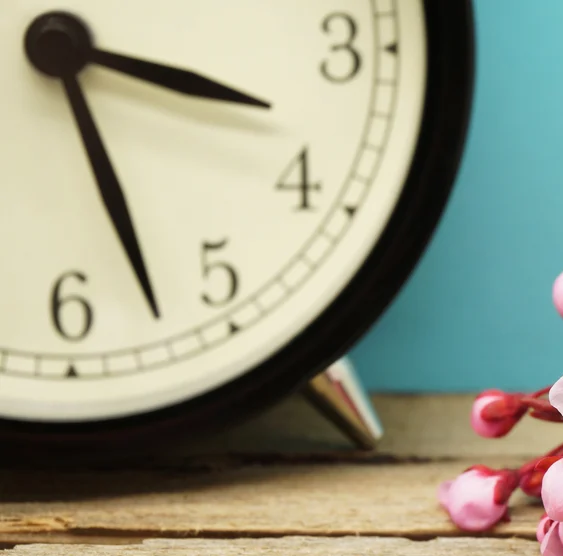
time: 3:27
